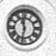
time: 11:32
